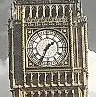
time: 1:34
